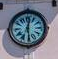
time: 12:28
